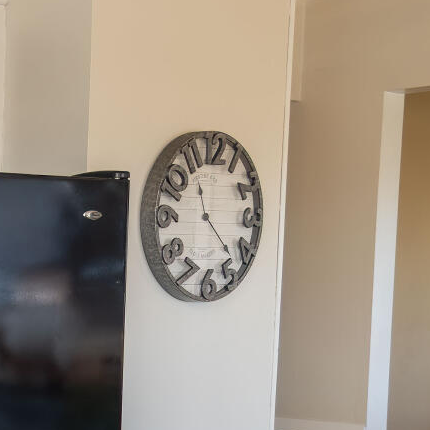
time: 11:22
